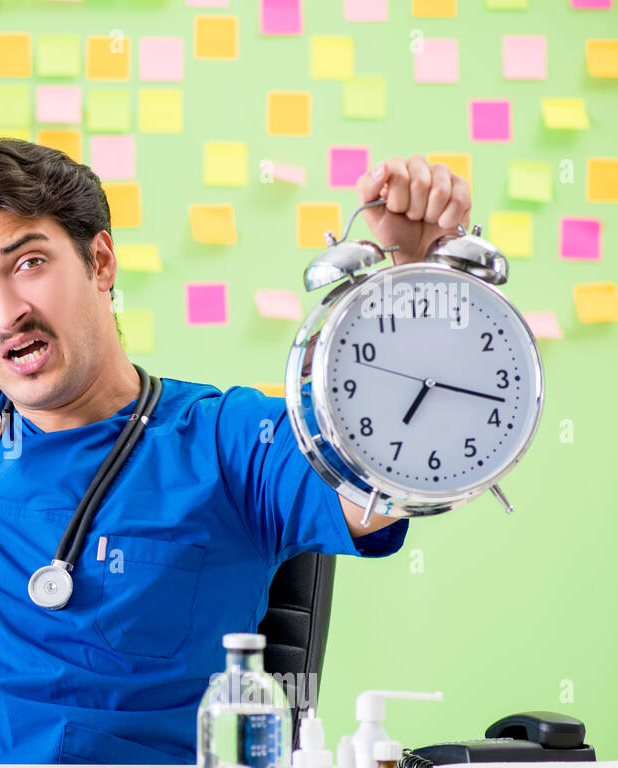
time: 7:17
